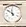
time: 11:51
